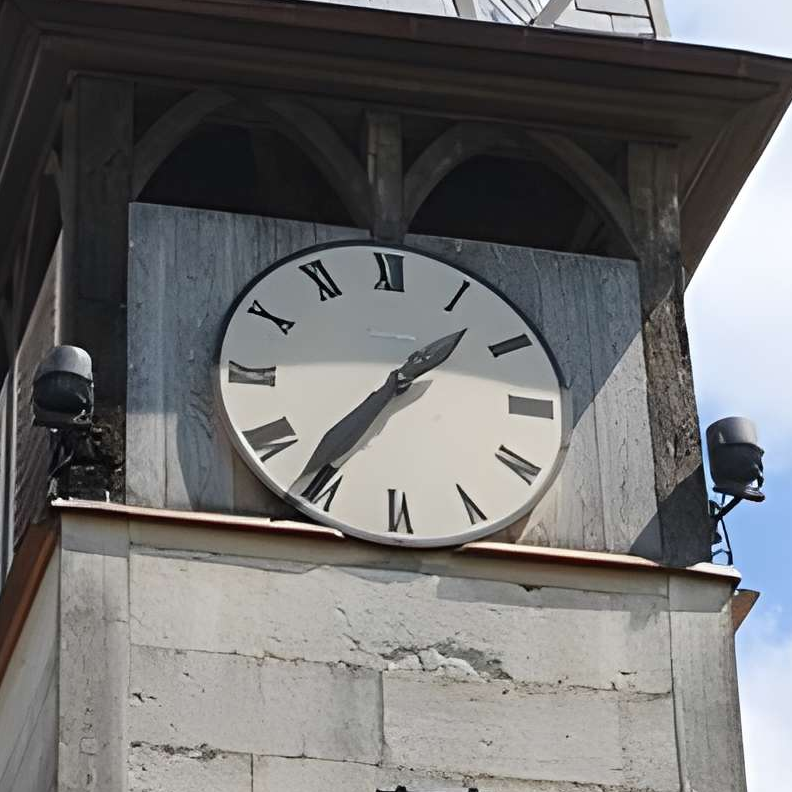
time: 1:36
